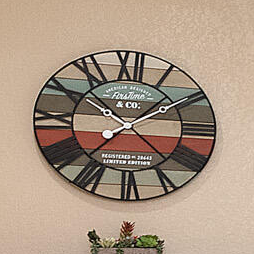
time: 1:52
